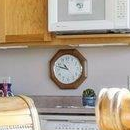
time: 10:47
